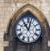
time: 11:02
